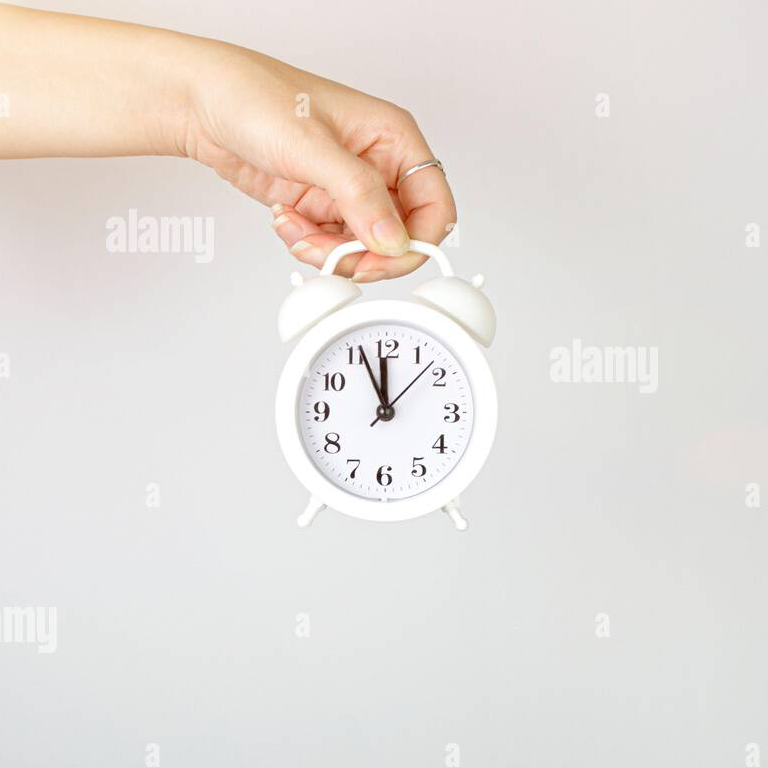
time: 11:56
